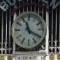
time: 11:19
